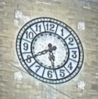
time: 5:40
